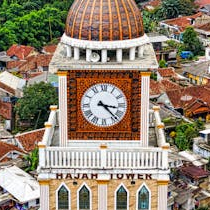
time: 3:22
